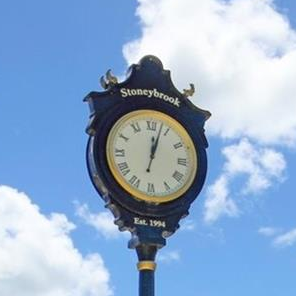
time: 12:03
